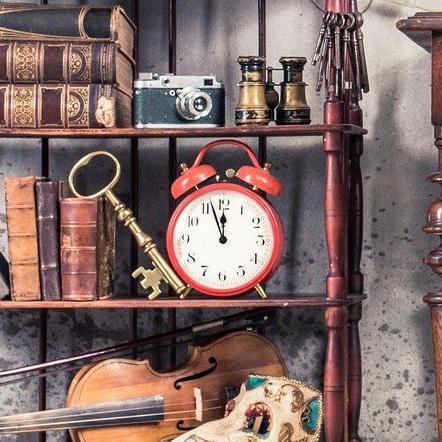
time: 11:56
